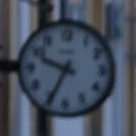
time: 9:34
